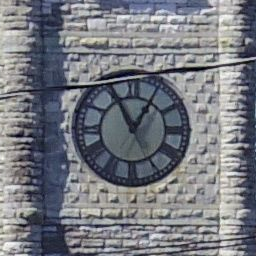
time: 12:55
